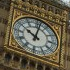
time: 10:02
